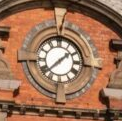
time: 1:37
